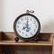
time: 8:01
